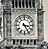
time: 3:25
